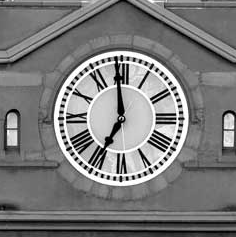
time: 6:59
